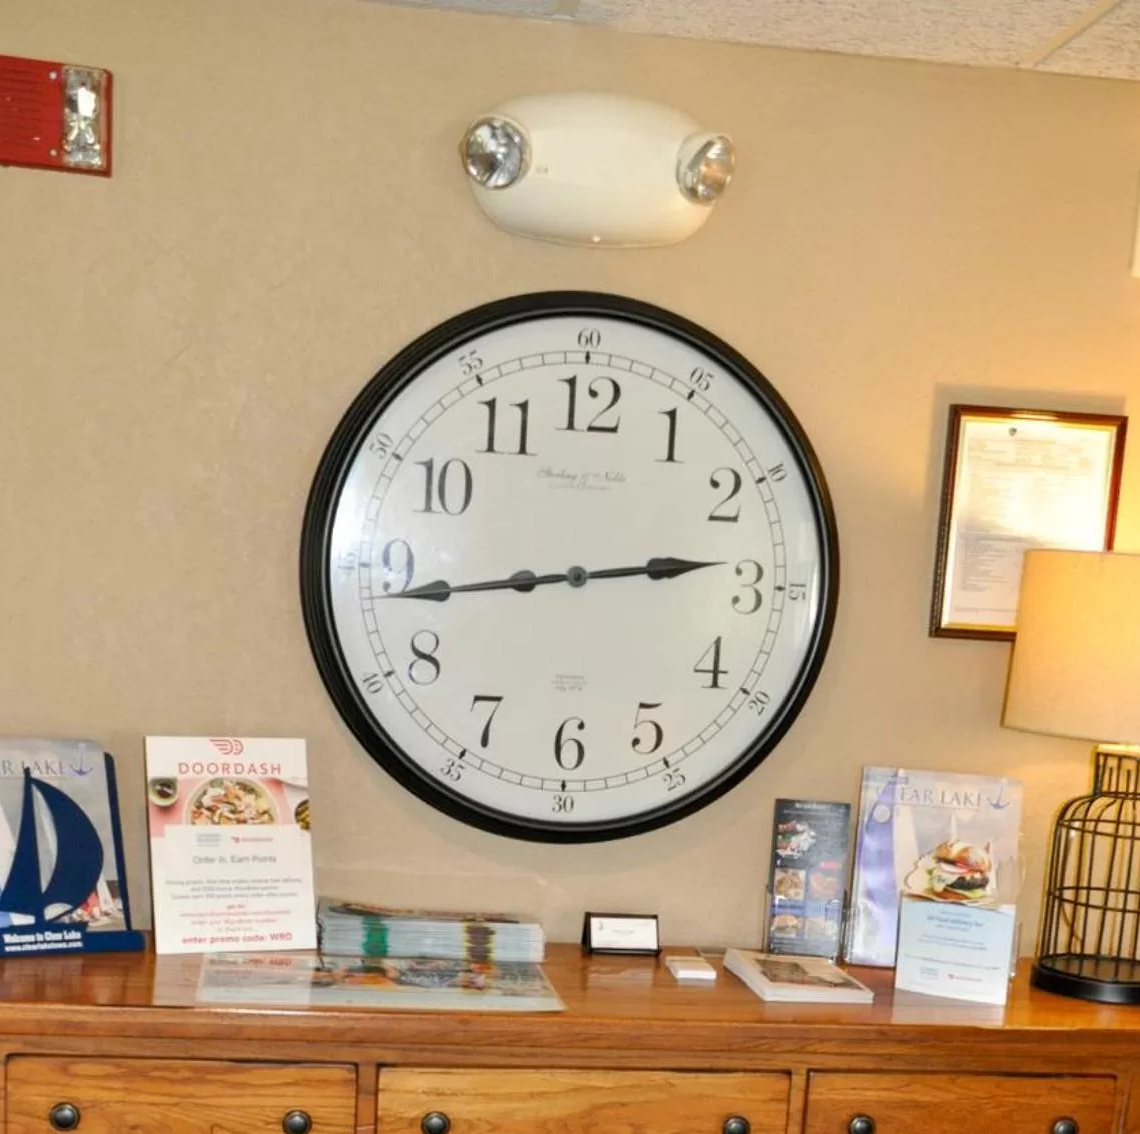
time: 2:43
